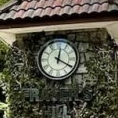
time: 12:19
